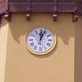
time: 12:03
